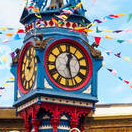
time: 12:26
